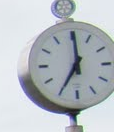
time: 7:00
